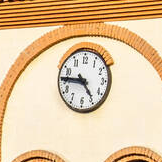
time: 4:45
